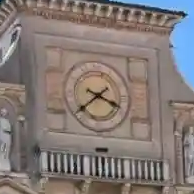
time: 3:38
